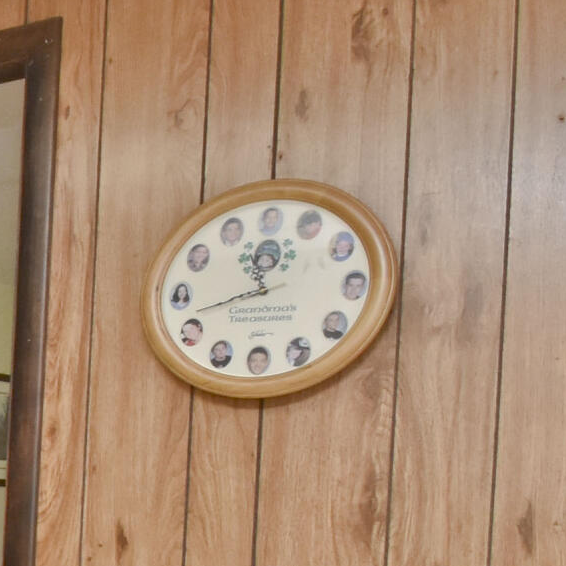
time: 11:42
